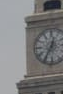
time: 12:35
